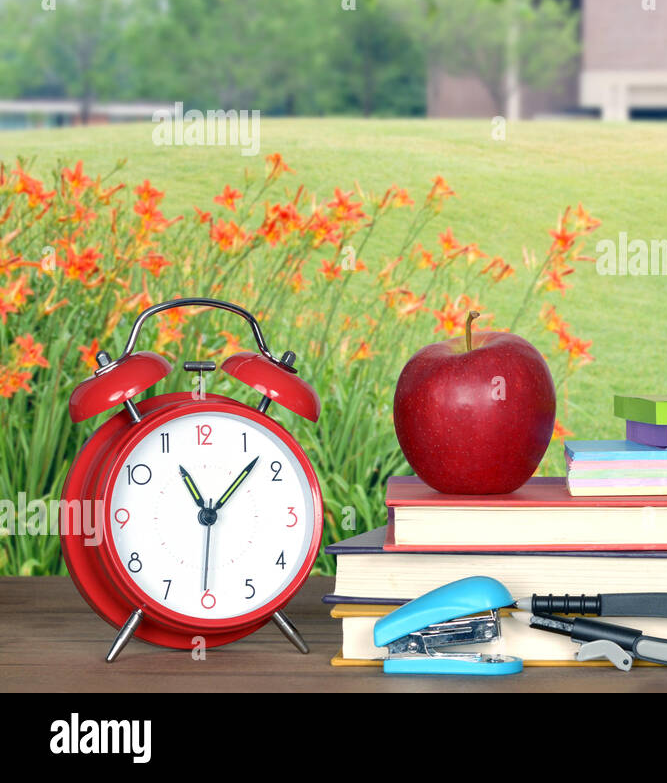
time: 11:07
